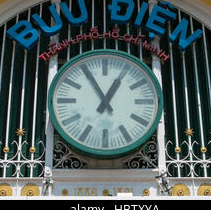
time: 12:55
